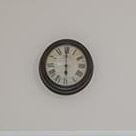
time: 5:59
